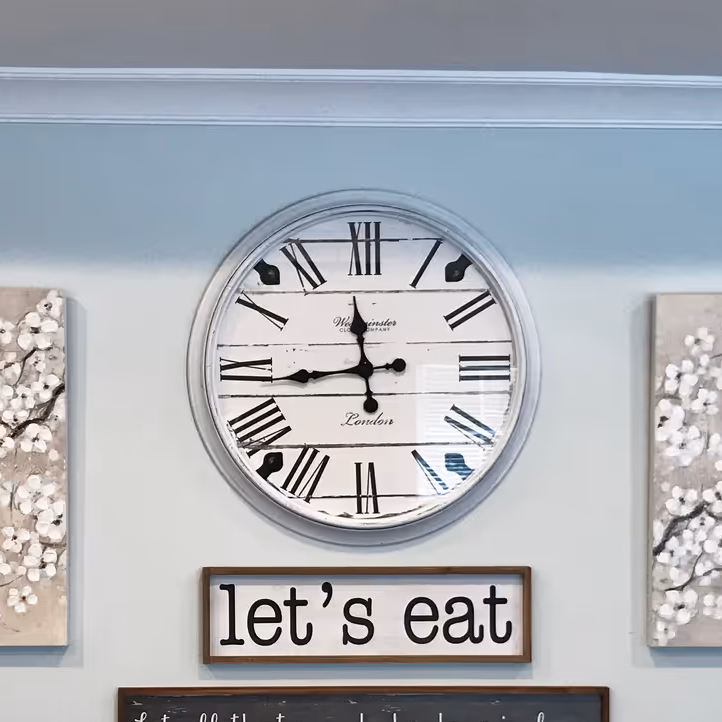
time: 11:43
